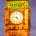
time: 4:46
